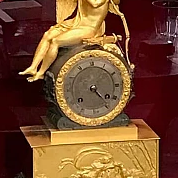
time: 4:23
